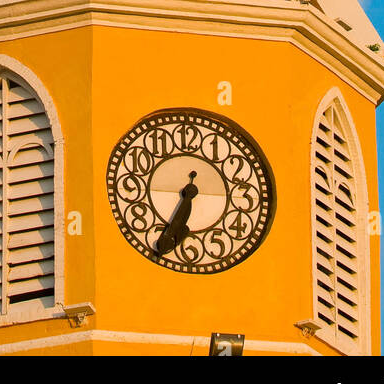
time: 6:34
